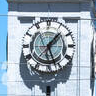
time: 1:26
